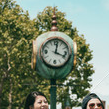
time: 12:18
